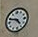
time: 4:48
